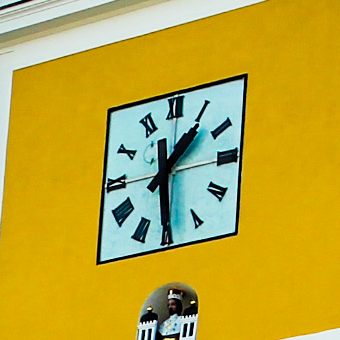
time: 1:29
